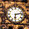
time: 6:13
